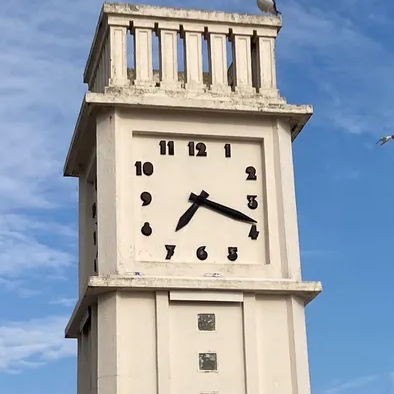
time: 7:18
